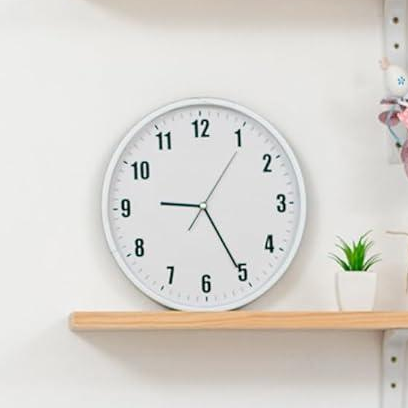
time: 9:25
